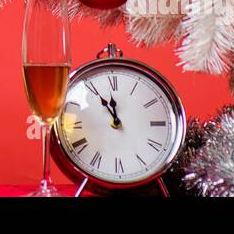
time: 11:55
